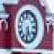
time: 5:31
